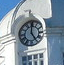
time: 4:59
